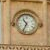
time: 10:34
